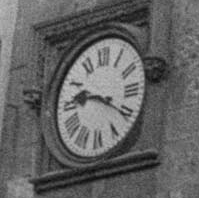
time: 9:20
